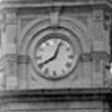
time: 8:03
